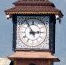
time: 2:55
